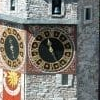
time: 11:25
